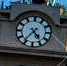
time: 4:36
